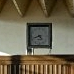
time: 4:42
